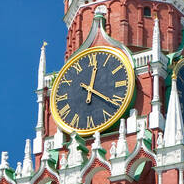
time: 12:20
